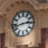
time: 2:42
